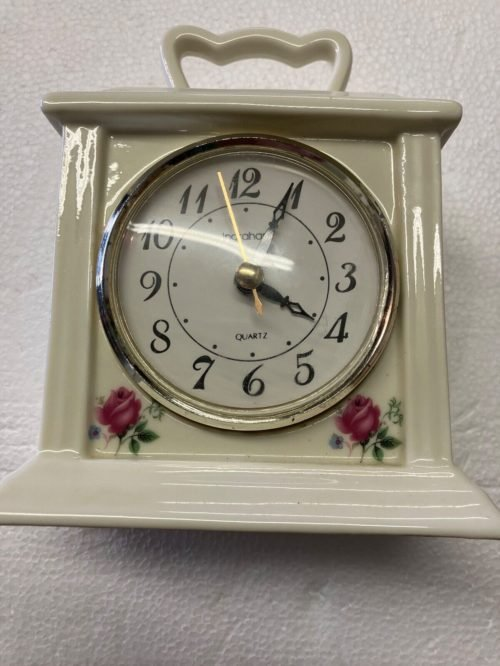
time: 4:04
